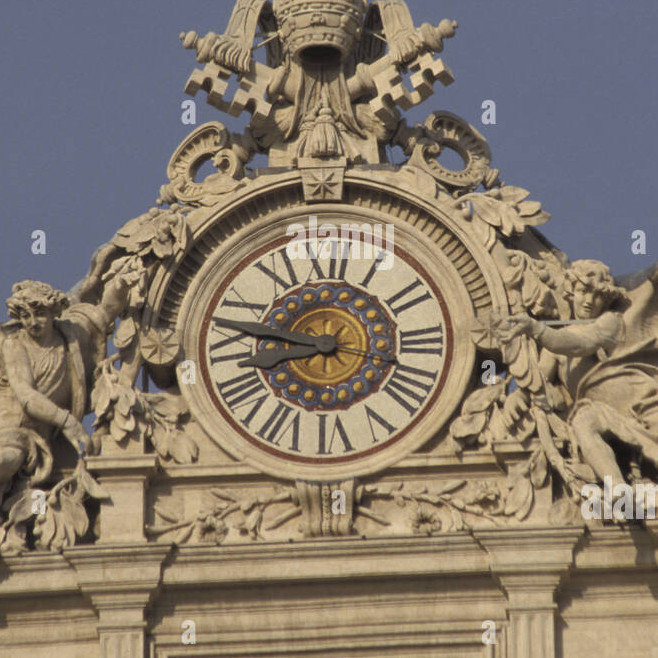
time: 8:47
